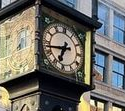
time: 6:43
